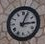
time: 3:04
